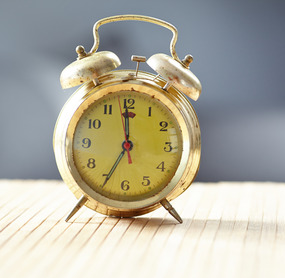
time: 6:59
